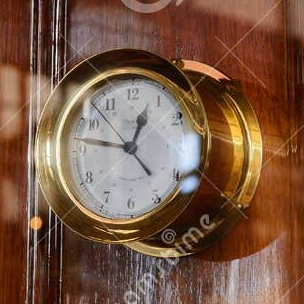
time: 12:46
